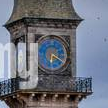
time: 6:19
